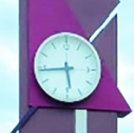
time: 5:44
